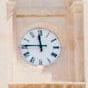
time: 11:45
